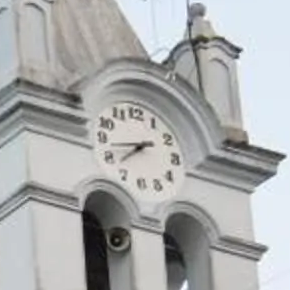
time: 7:42
